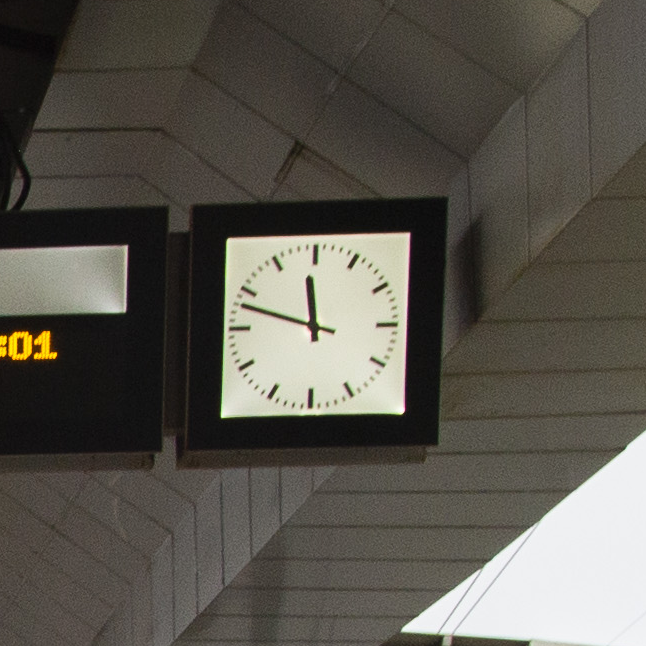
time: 11:47
